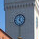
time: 12:23
